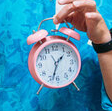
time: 1:33
